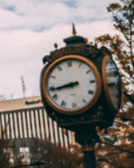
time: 8:43
